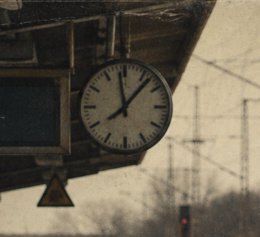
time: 7:58
